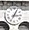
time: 3:04
